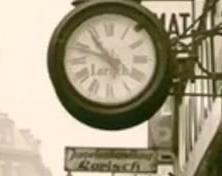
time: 10:48
